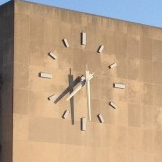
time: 7:38
